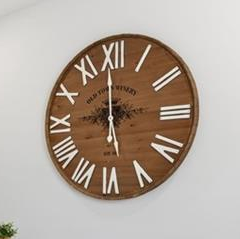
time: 8:59
